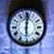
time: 6:01
